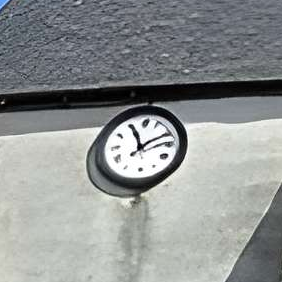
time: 11:10
